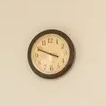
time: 3:48
